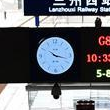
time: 10:17
